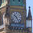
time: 10:24
